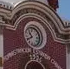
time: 10:40
